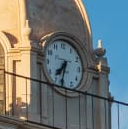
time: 7:32
